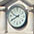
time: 9:40
